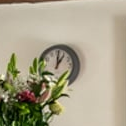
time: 12:59
